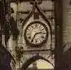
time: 2:35
